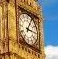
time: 3:04
